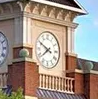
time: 7:49
